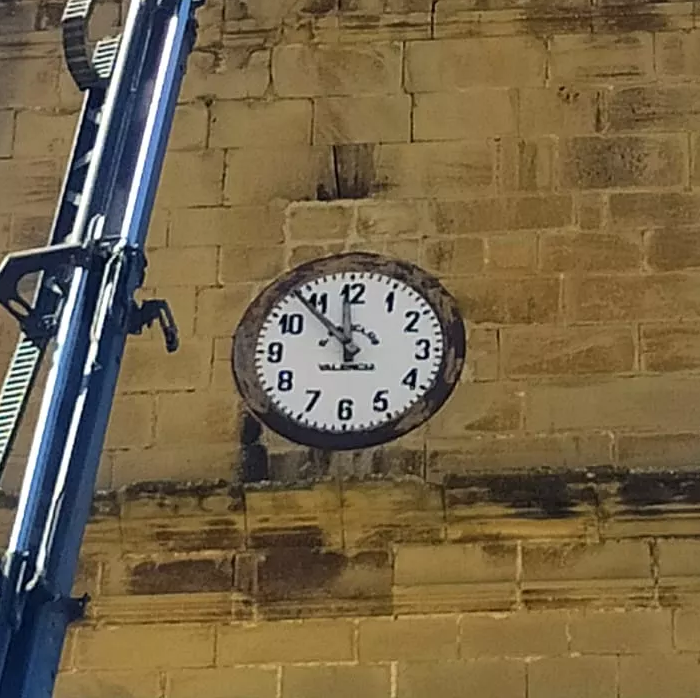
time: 11:53
